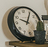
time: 10:05
